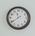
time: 11:39
